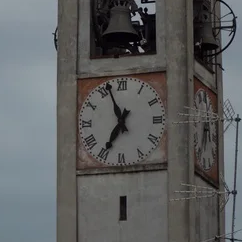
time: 6:56
